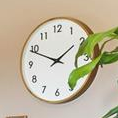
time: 1:49
